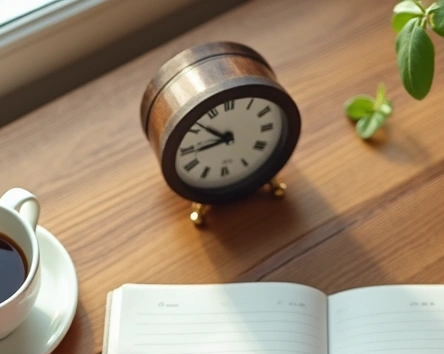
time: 8:51
